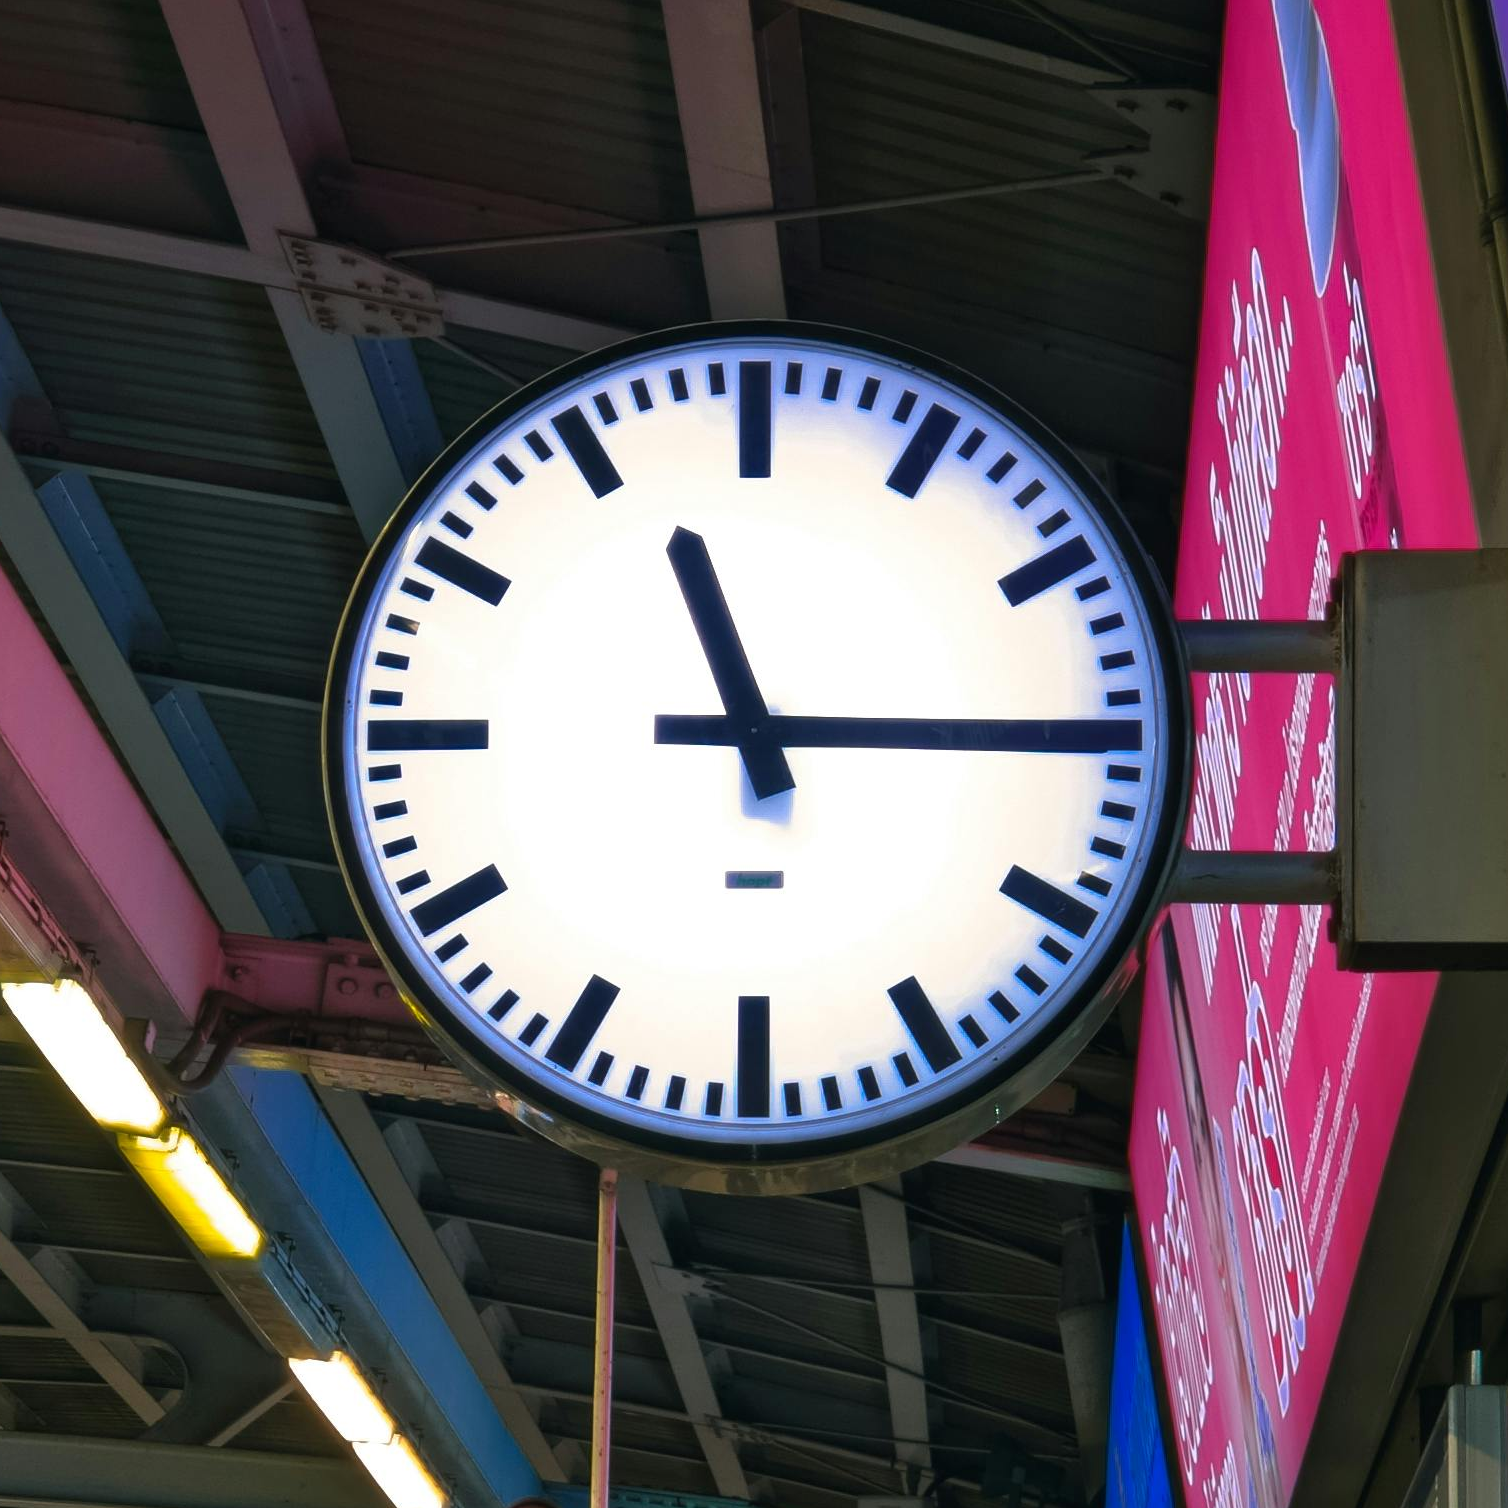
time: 11:15
